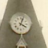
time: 4:03
